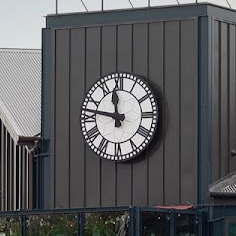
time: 11:46
